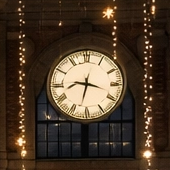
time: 3:32
